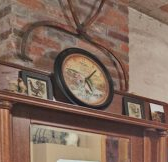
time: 5:07
